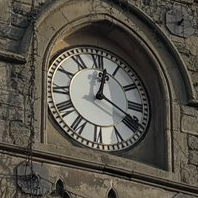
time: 12:19
